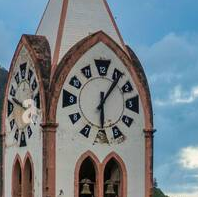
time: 6:06
